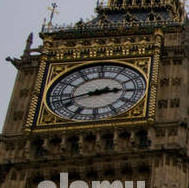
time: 2:42
